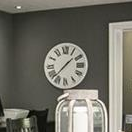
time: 1:37
